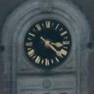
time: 4:16
